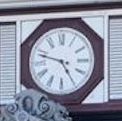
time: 4:48
